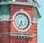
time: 5:33
